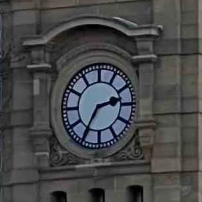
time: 2:34
